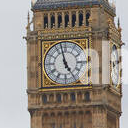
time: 4:57
